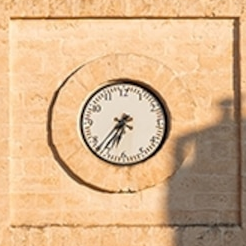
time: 6:36
